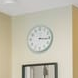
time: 3:15
